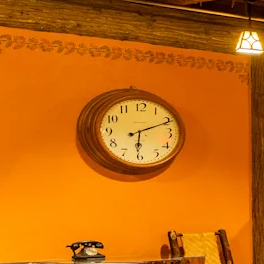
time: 6:10
